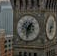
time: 1:31
